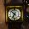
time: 6:52
